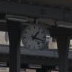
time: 1:18
